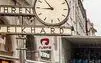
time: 8:53
